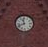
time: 11:41
